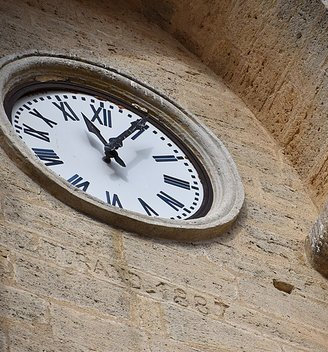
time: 11:04
